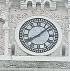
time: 8:07
